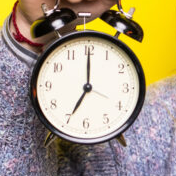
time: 7:00
